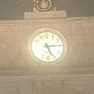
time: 5:14
